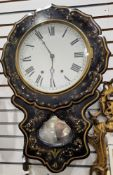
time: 5:55
